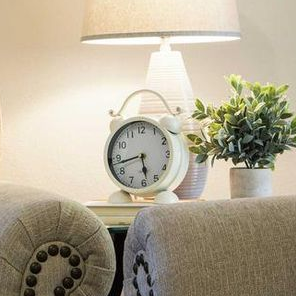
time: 5:43
